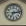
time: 7:12
